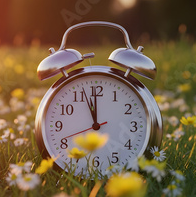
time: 11:56
